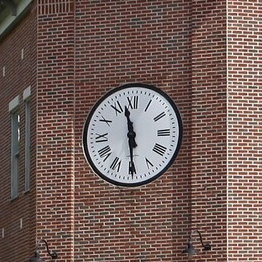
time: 11:29
